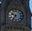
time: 9:36
